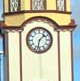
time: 1:32
